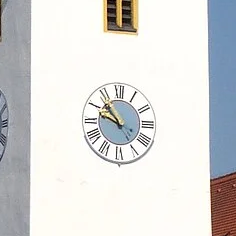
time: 9:53
